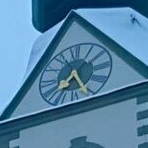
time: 7:25
